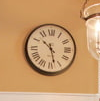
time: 10:28
